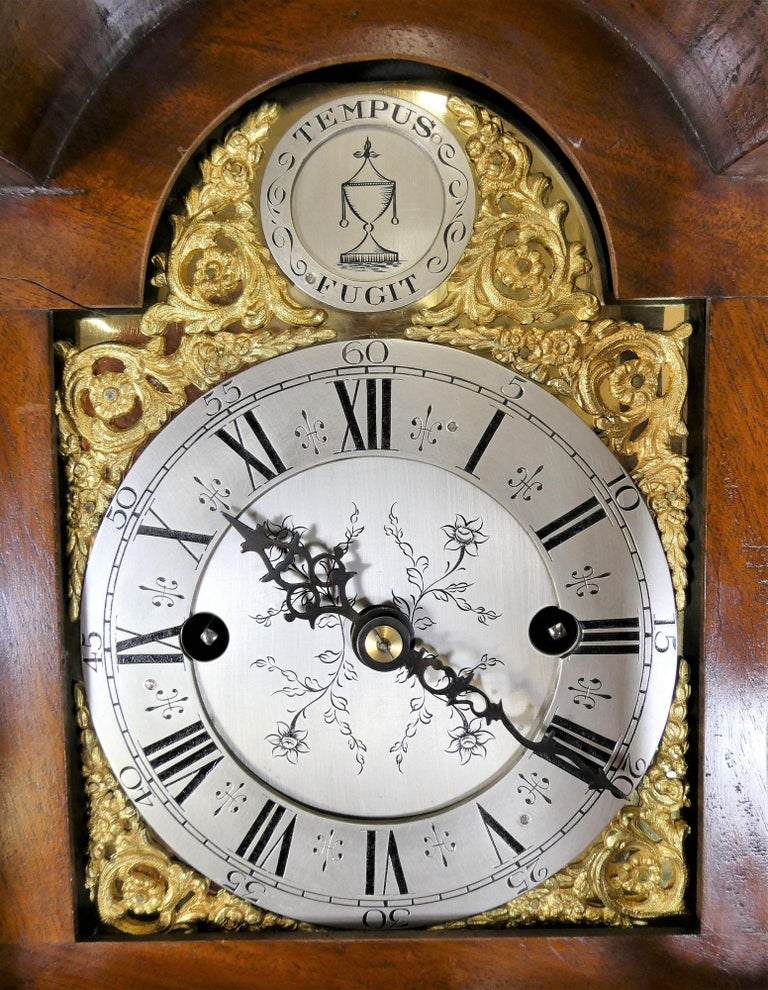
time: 10:21
